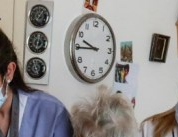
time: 9:44
